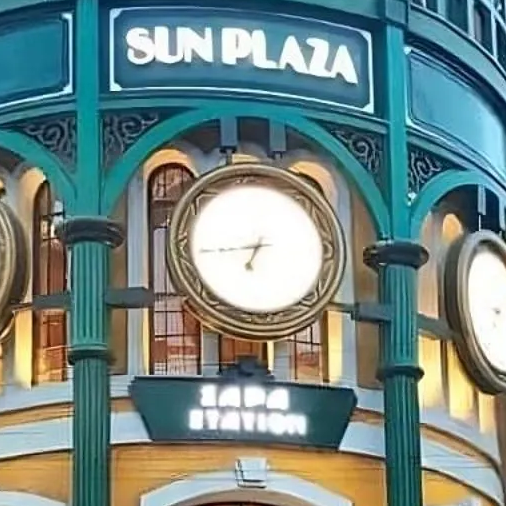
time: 6:43
